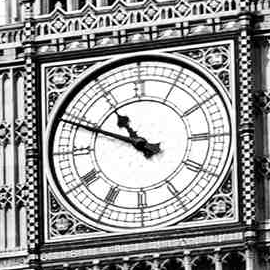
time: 10:48
